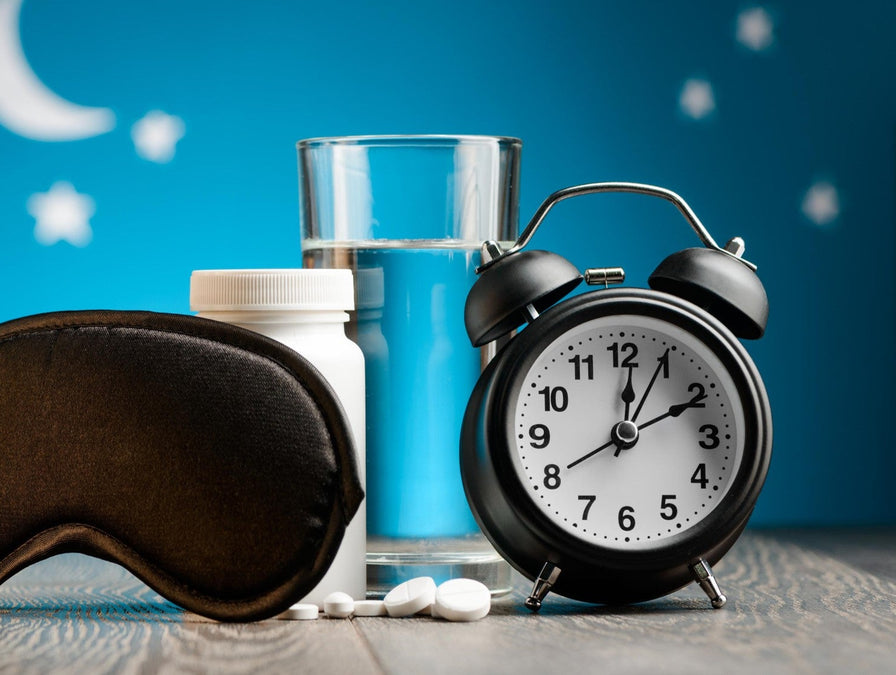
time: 12:10
